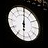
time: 6:00
